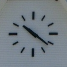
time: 10:21
